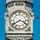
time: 3:39
